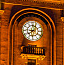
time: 8:38
